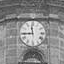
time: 11:44
